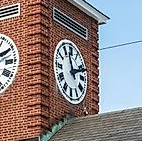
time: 11:11
